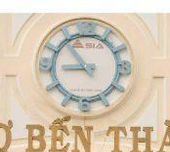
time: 8:53
